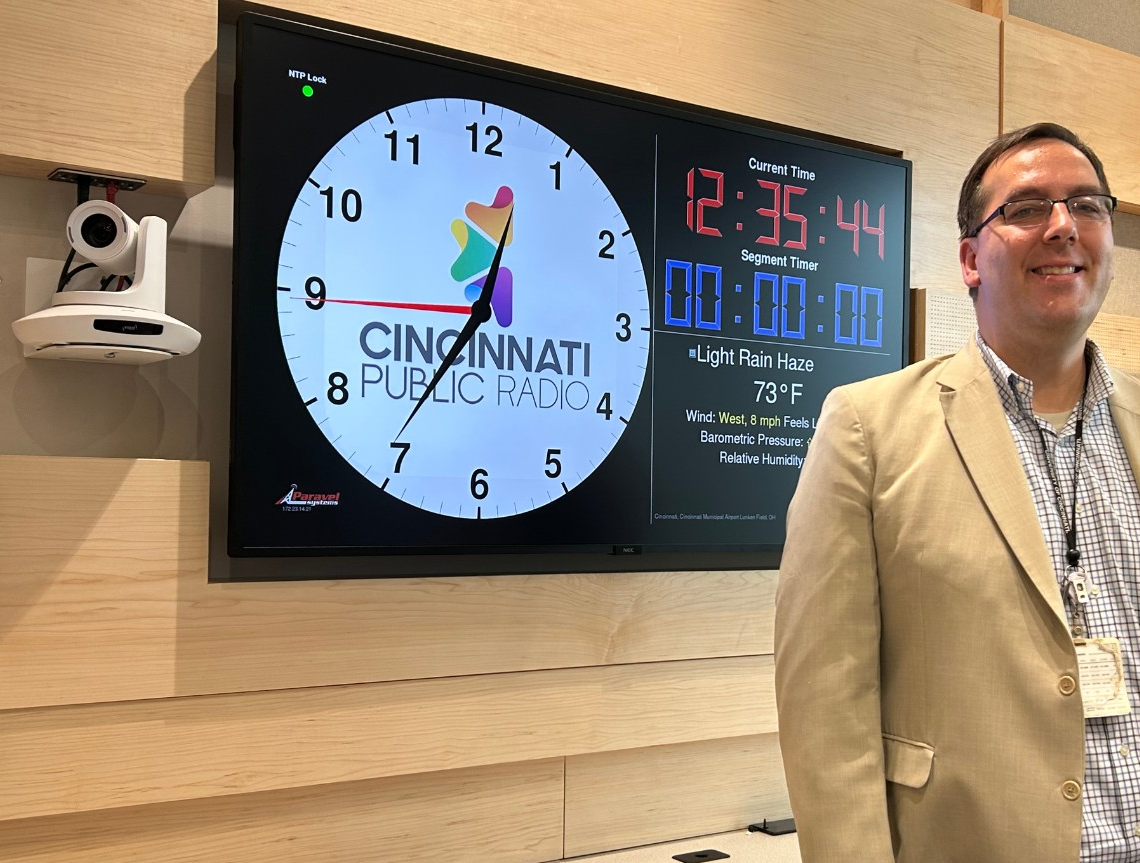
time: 12:35
